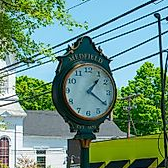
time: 1:20
